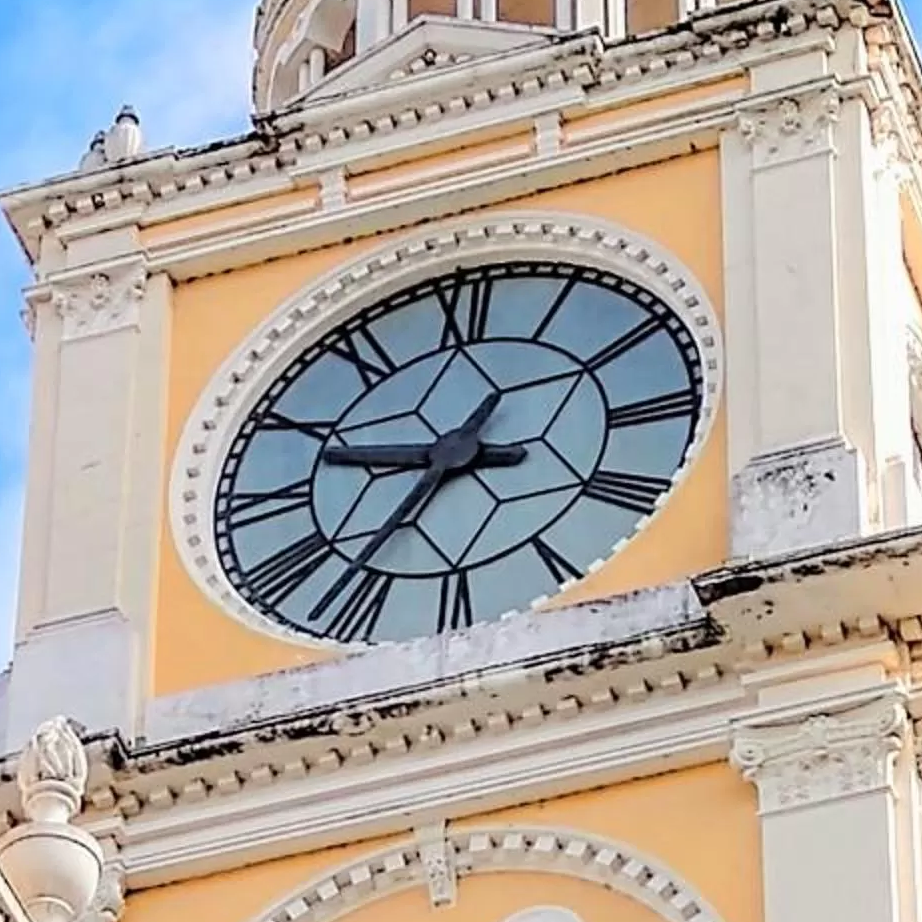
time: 9:36
